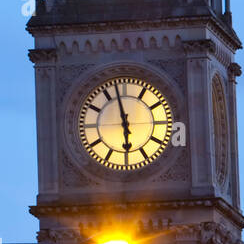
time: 5:57
